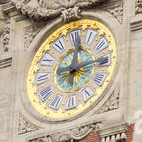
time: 12:13
